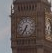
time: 6:34
